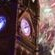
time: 8:12
